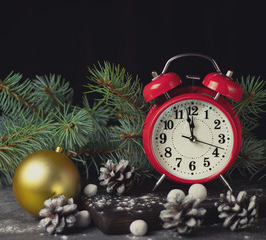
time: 11:58
